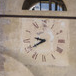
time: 9:40
